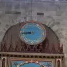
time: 8:43
